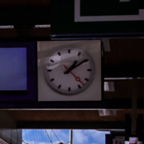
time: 1:09
